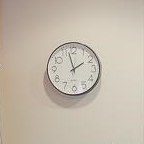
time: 1:57
